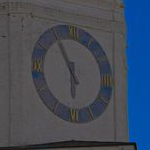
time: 5:55
